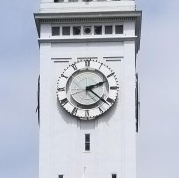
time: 2:21
